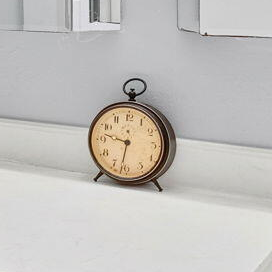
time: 9:31
